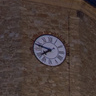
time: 7:47
